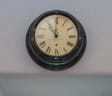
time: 11:00
